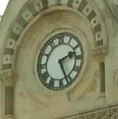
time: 2:26
